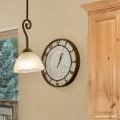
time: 1:03
